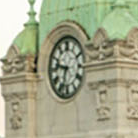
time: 9:33
